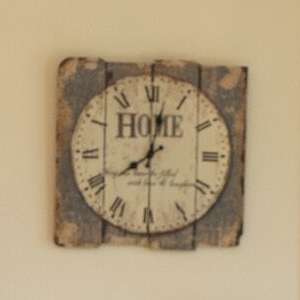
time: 8:02
